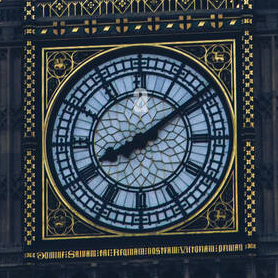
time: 8:09
